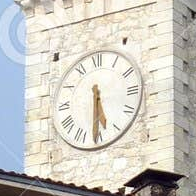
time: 5:30
